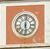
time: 6:01
